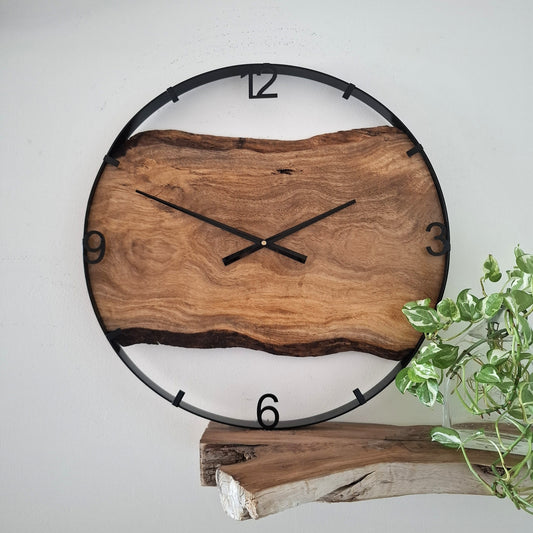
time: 1:49
